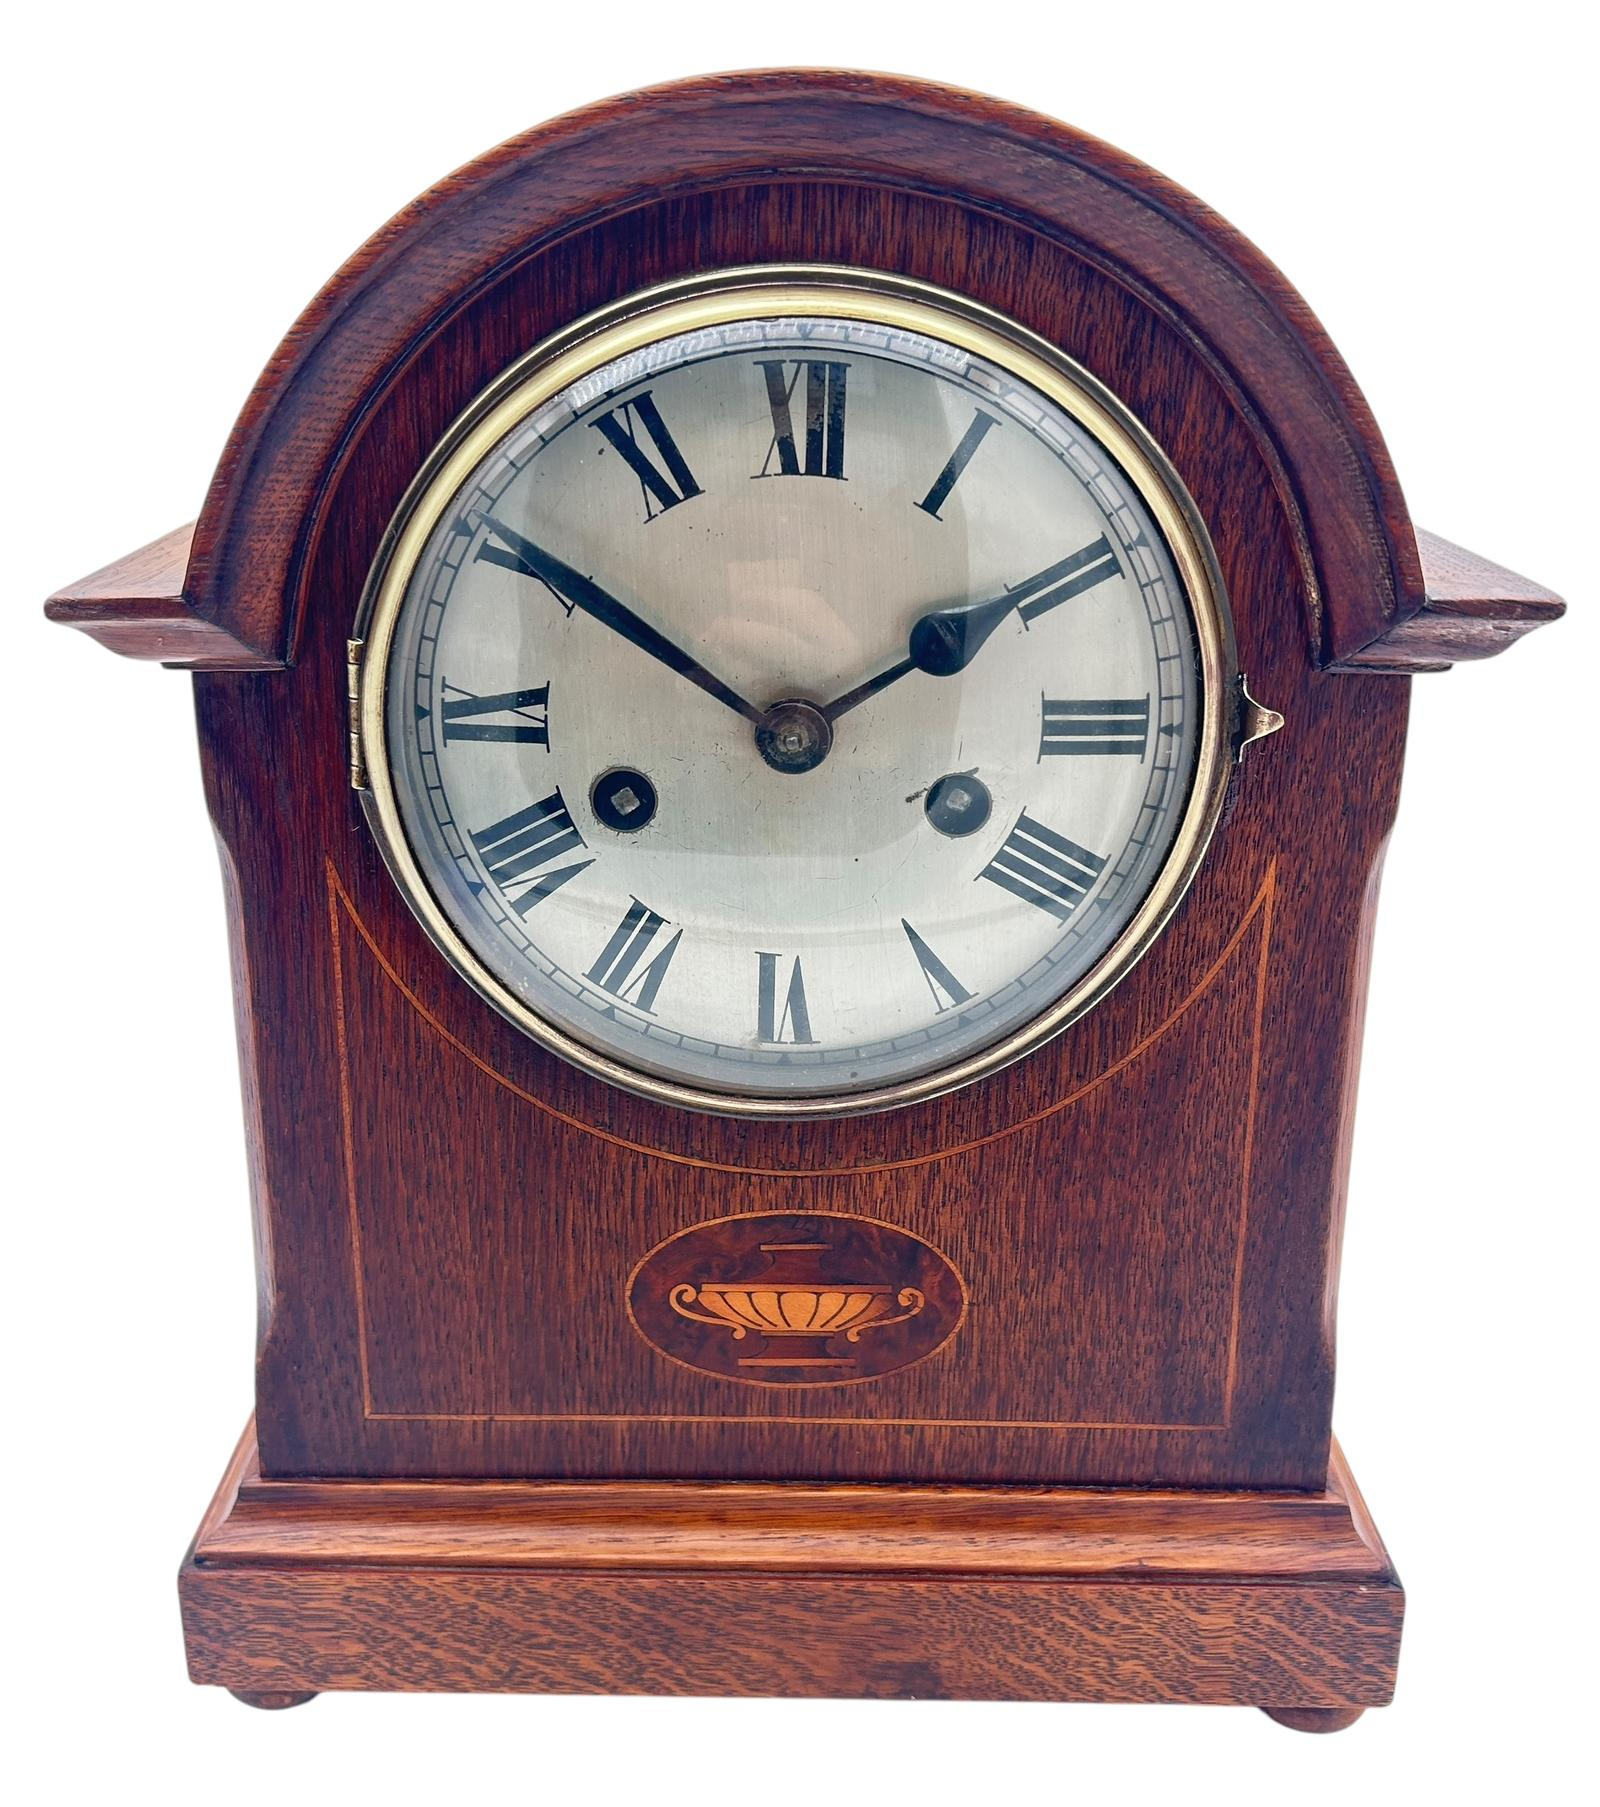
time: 1:50
